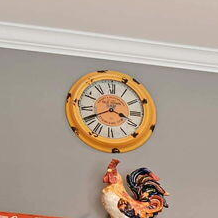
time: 3:40
